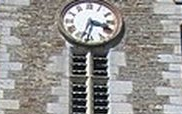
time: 3:33
